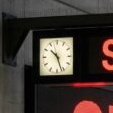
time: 10:26
